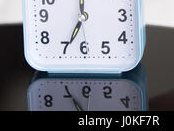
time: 12:34
